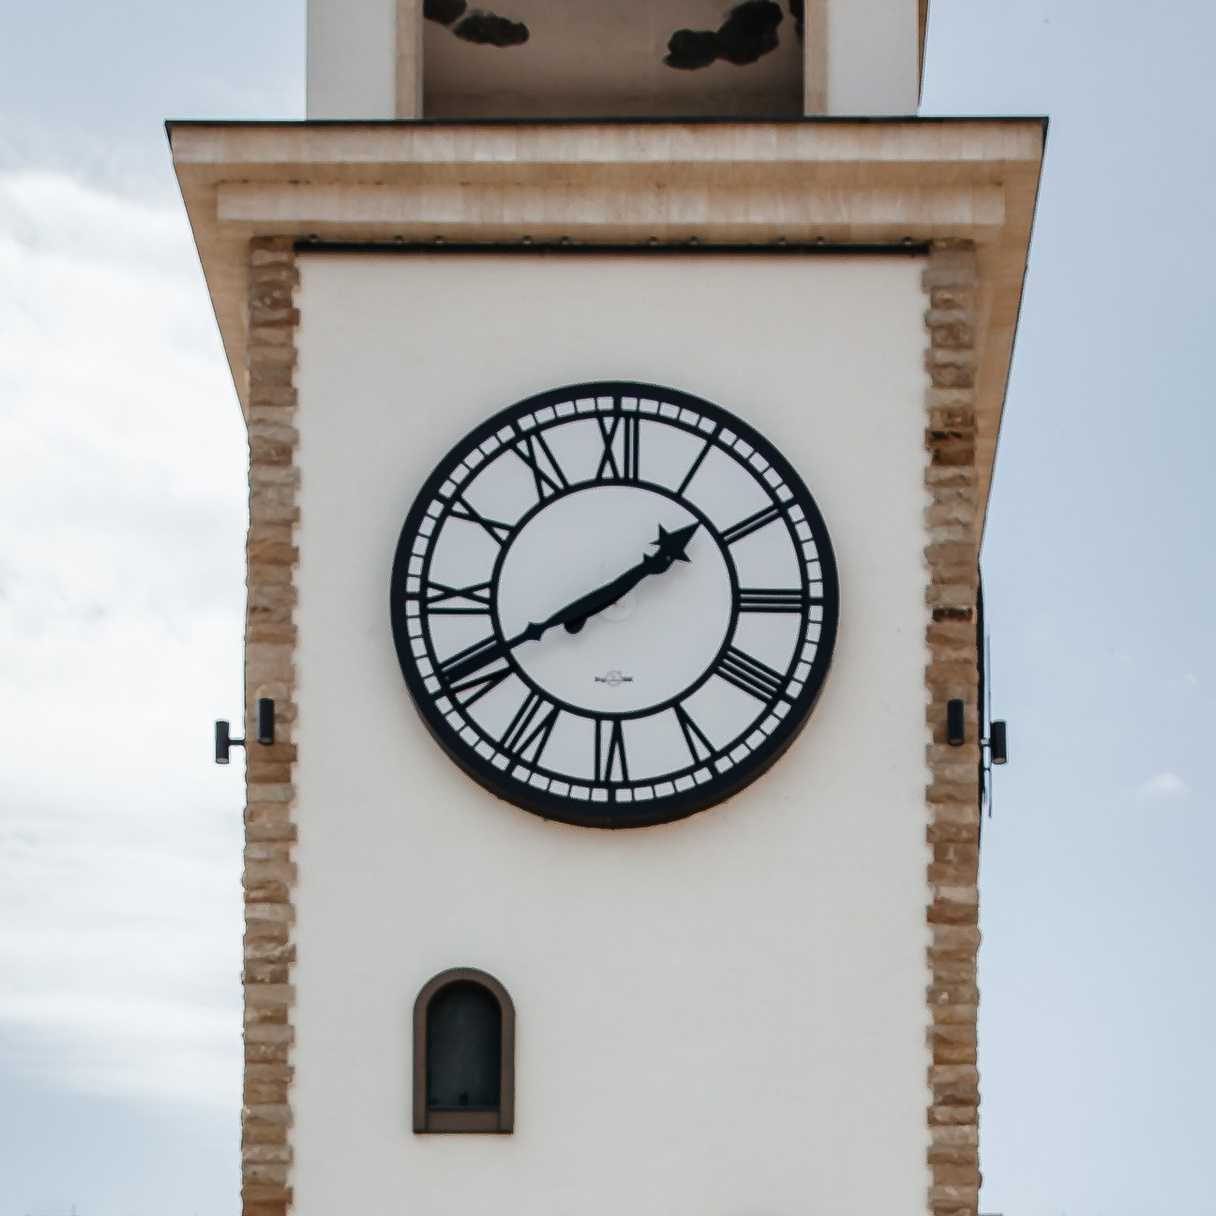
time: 1:40
